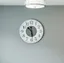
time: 10:28
